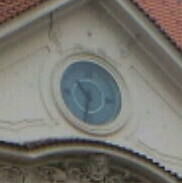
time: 10:32
